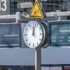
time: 12:02
